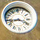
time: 3:43
